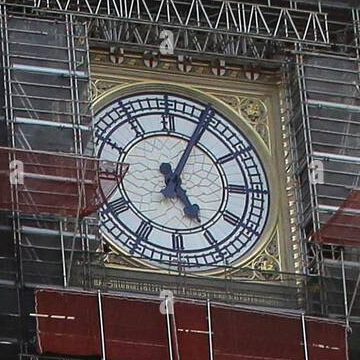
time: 5:04
